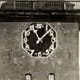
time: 11:07
